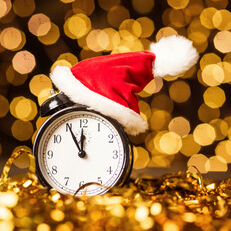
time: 11:55
